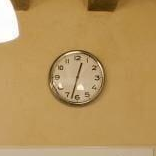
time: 12:32
